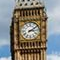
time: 3:09
